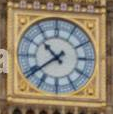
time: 10:38
